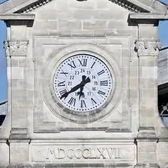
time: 6:39
